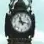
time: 11:17
